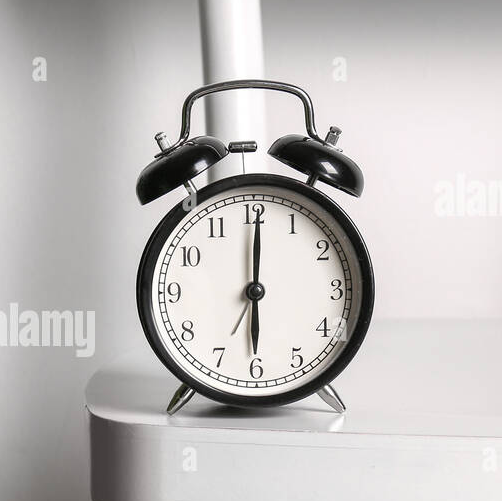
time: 6:00
